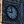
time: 8:58
